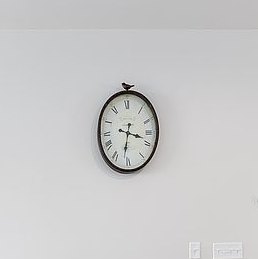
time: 3:31
